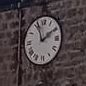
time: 1:56
